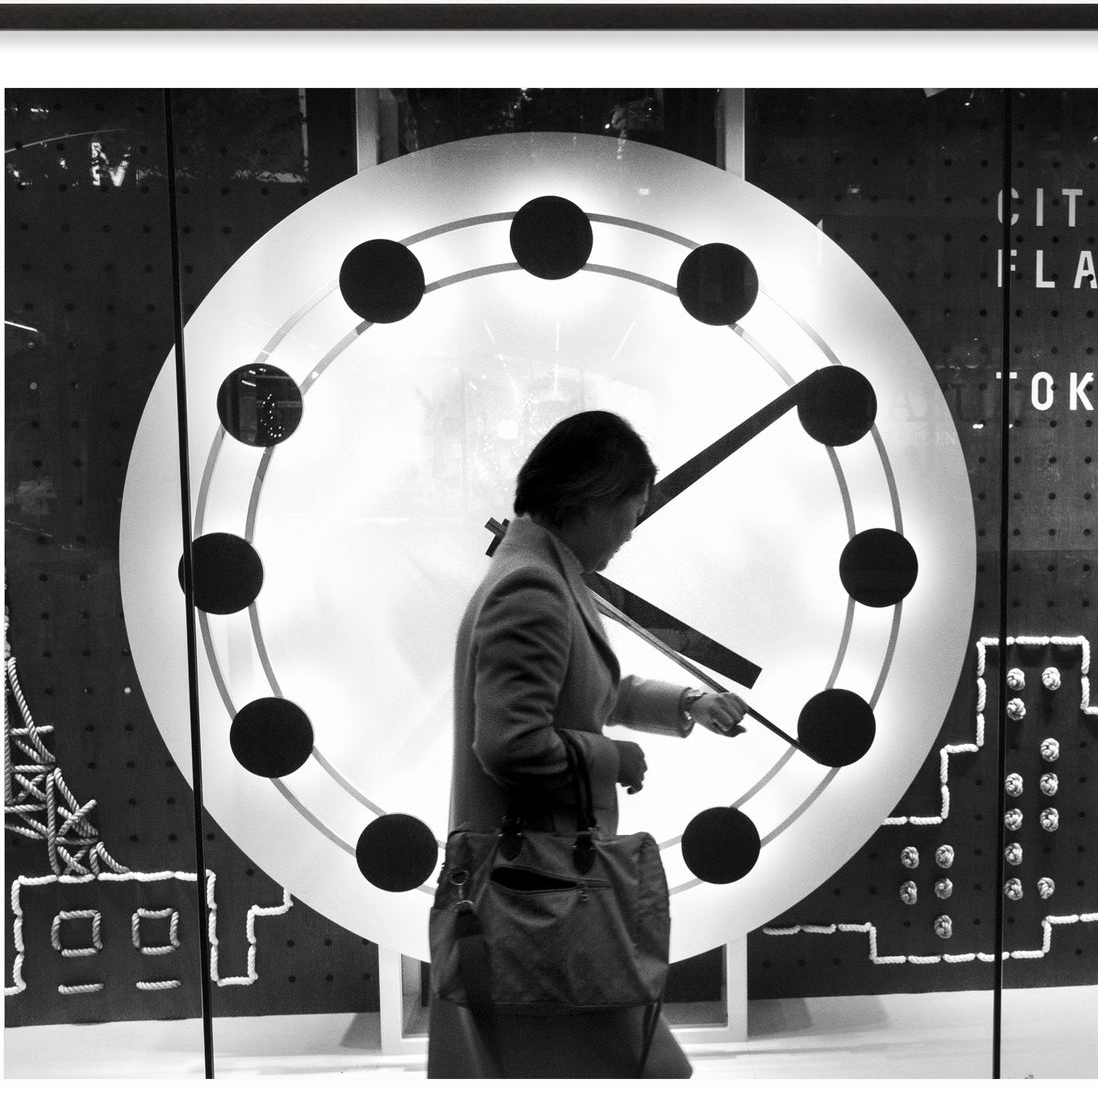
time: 4:09
